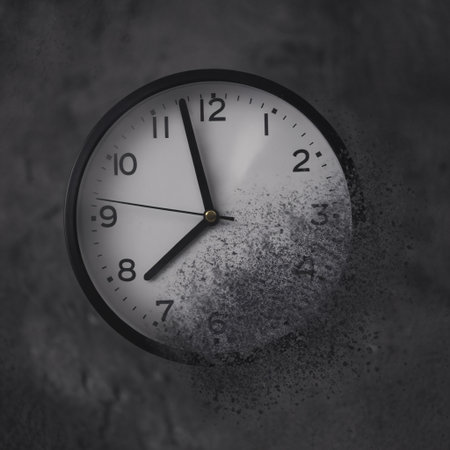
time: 7:57
